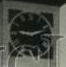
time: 9:11
